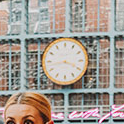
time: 3:43
